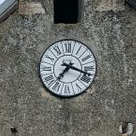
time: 7:18
